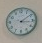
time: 3:09
